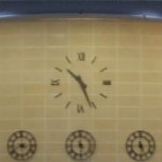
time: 10:26
